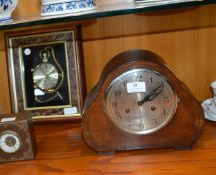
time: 2:09
